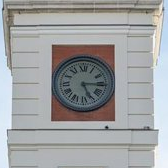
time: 5:15
